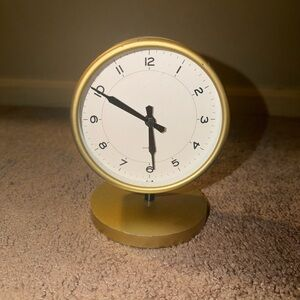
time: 5:50
